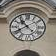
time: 10:40
